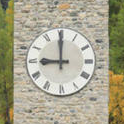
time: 8:59
